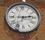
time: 2:45
